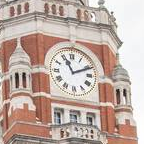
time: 11:11
